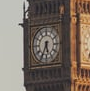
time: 5:34
